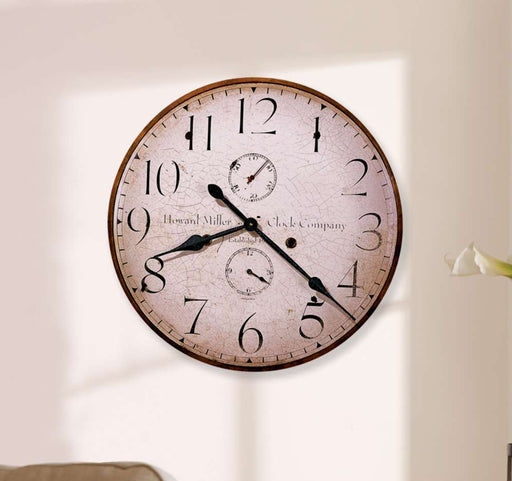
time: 8:21
